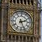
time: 2:26
